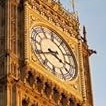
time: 3:40
